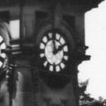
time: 1:59
